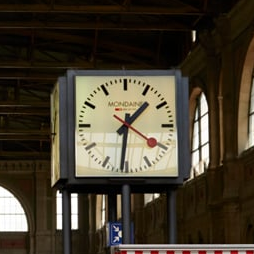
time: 1:31
